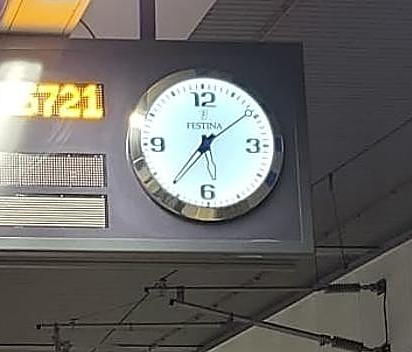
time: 7:09
